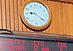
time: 9:20
